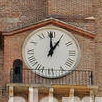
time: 1:00
